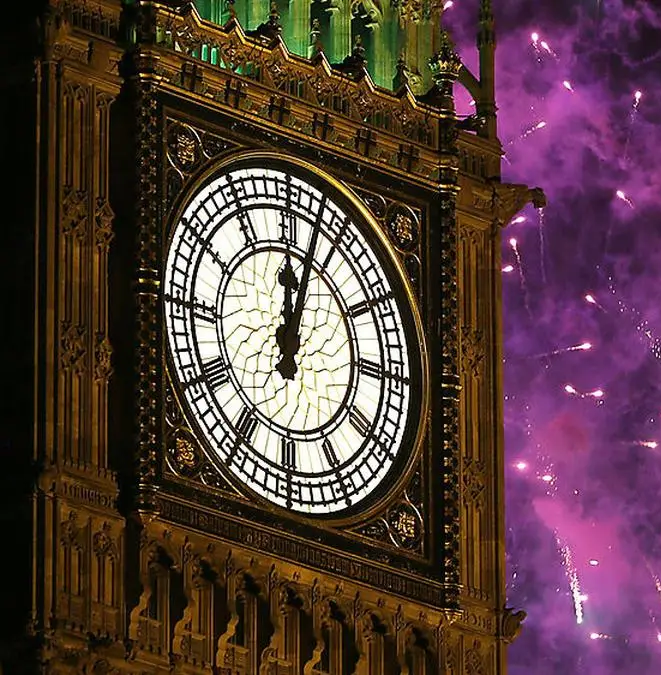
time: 12:03
